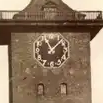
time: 11:07
